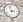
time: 2:57
